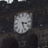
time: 3:26
